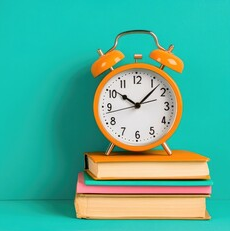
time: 10:07
